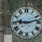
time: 9:13
